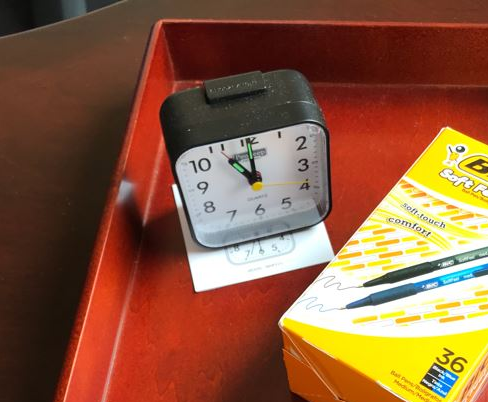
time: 11:00
